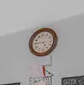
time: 4:45
